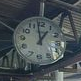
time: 12:58
